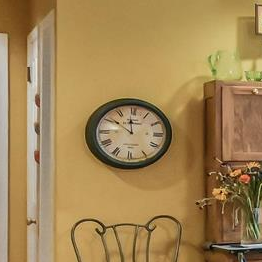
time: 11:50
